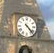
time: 4:22
